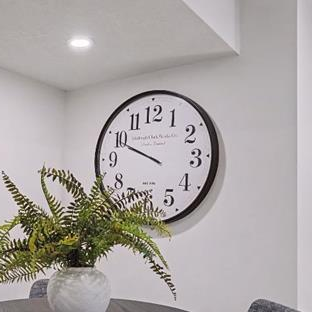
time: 9:49
